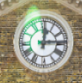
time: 12:14
